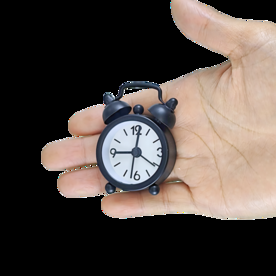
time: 9:01
